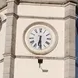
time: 6:29
